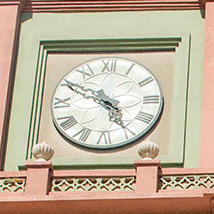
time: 4:49
